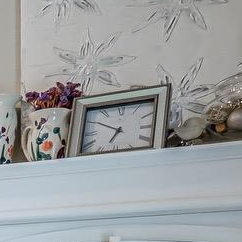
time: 6:50
